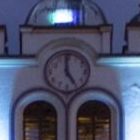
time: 4:59
